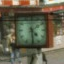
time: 4:29
